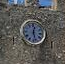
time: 12:27
